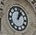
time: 1:02
